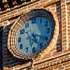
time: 5:18
